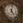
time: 5:01
